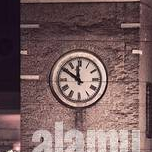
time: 11:50
